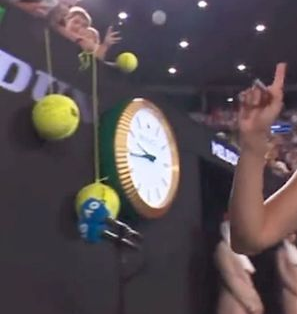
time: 9:44
